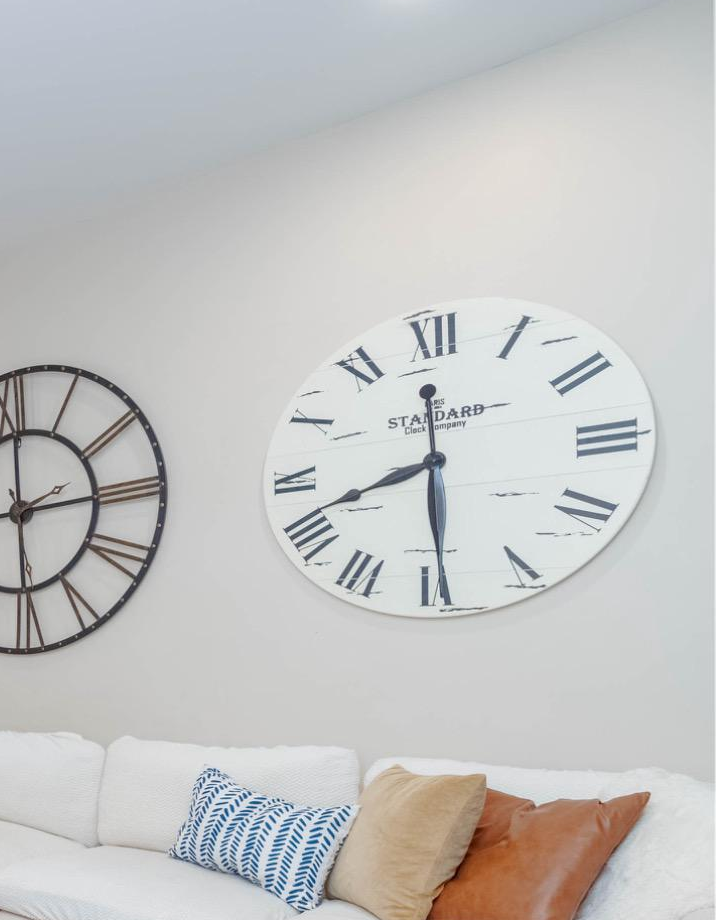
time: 8:29
